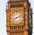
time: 8:11
